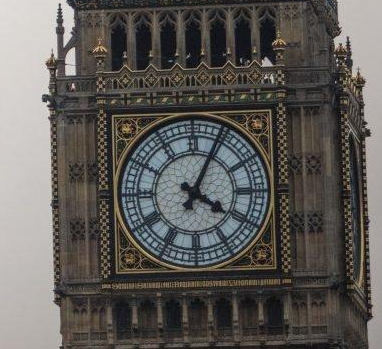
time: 4:04
